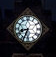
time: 8:34
